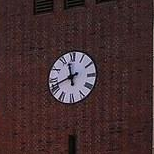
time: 11:41
